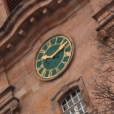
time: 9:07
